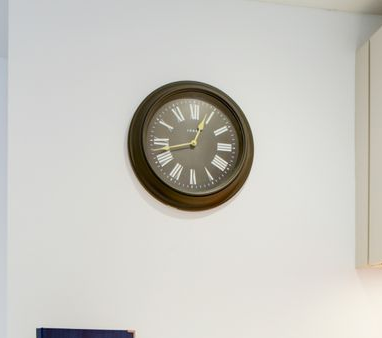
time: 12:42
